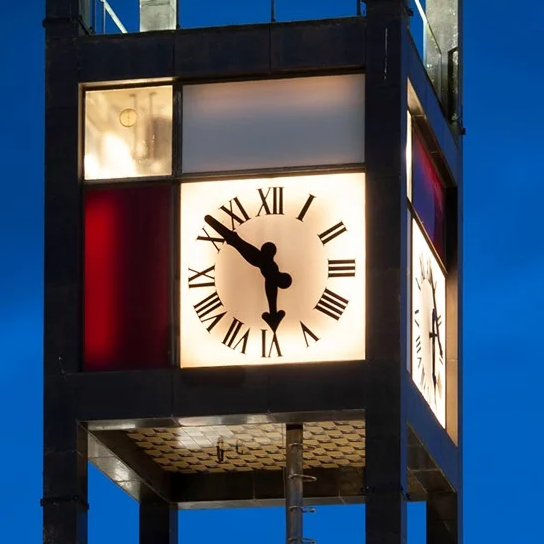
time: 5:51
